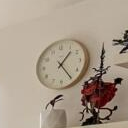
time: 1:24
